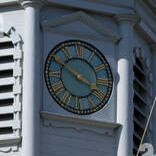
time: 3:50
